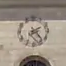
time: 2:23
